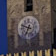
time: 9:34
